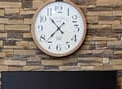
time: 10:37
